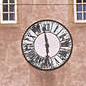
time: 5:58
